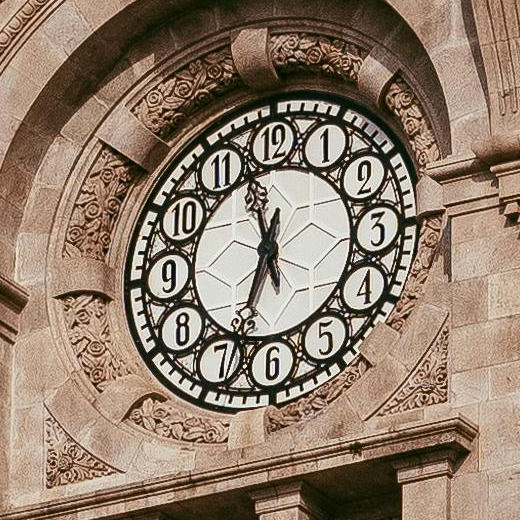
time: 11:32
